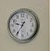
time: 9:35
